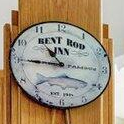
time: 10:45
